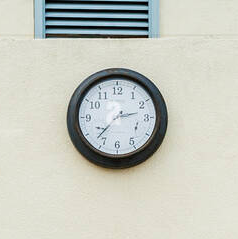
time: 2:37
